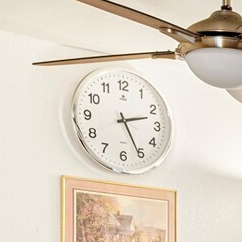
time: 2:25
